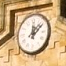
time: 12:07
